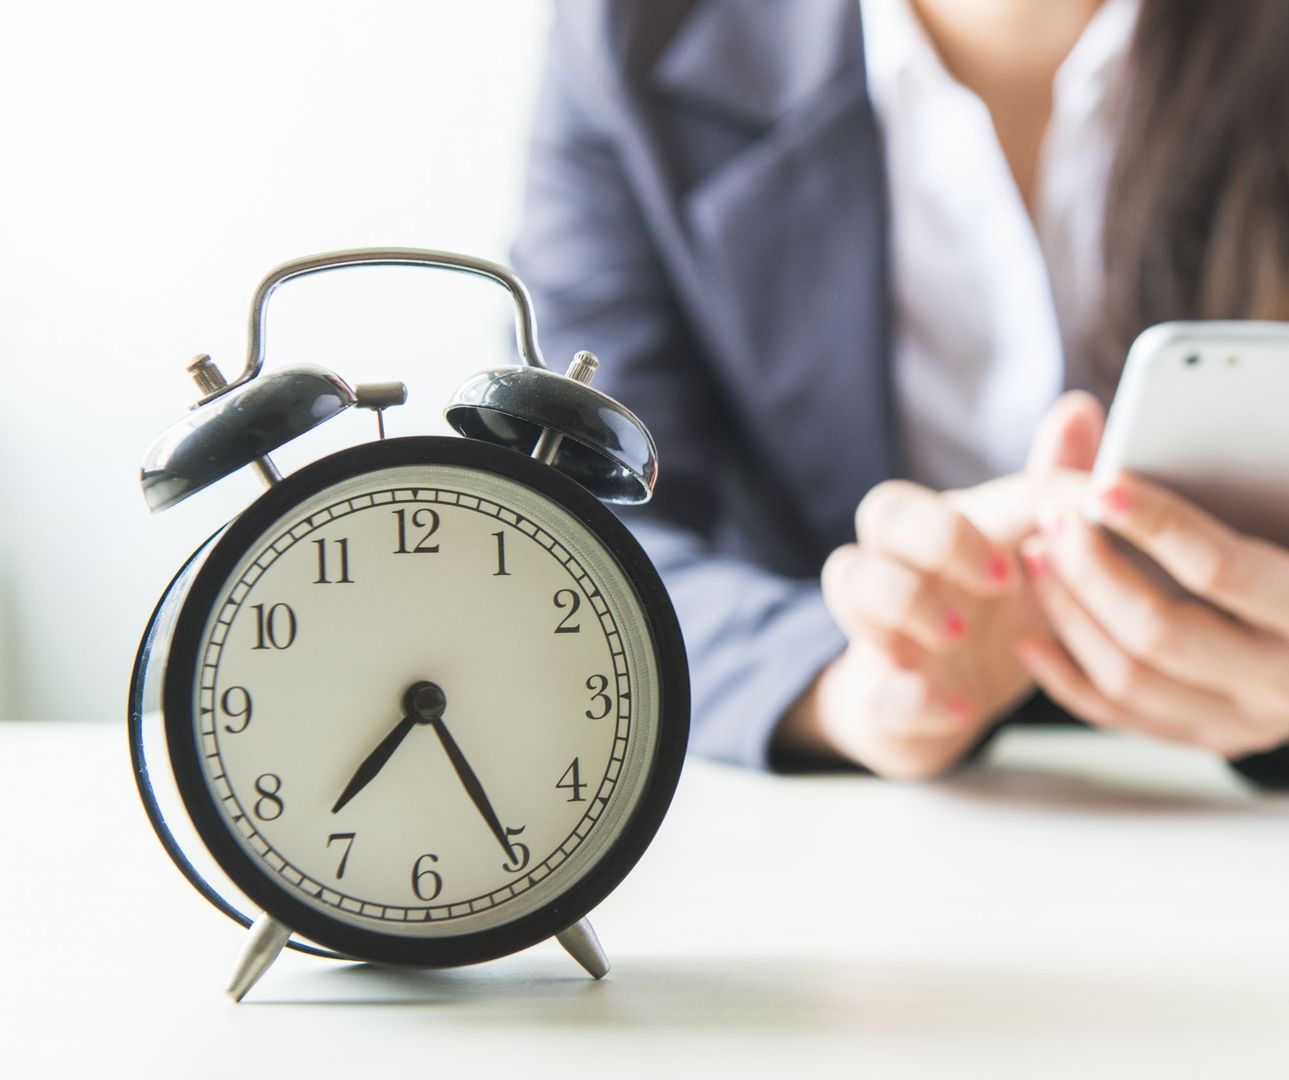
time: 7:25
